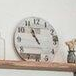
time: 10:56
